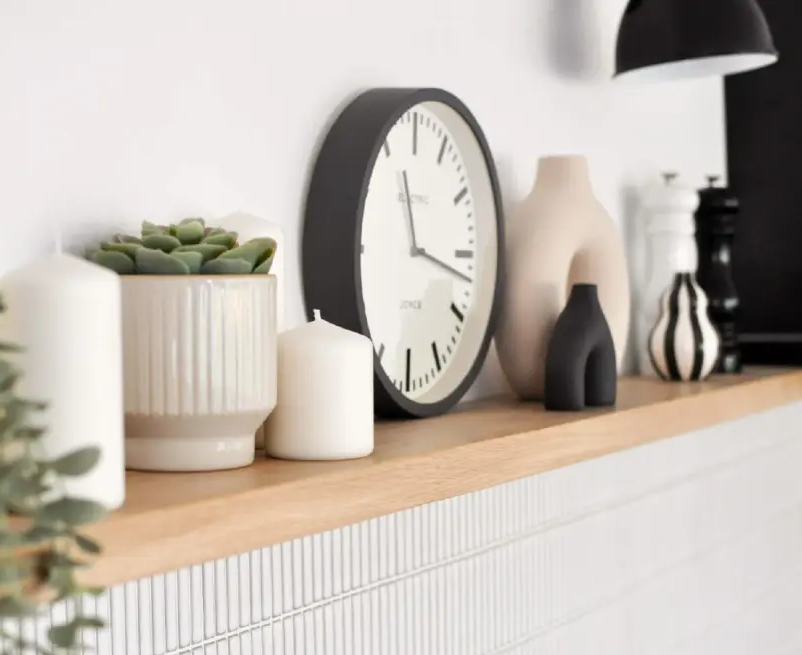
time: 11:17
